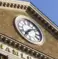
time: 7:08
